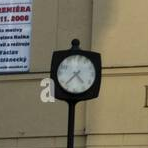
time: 4:37
